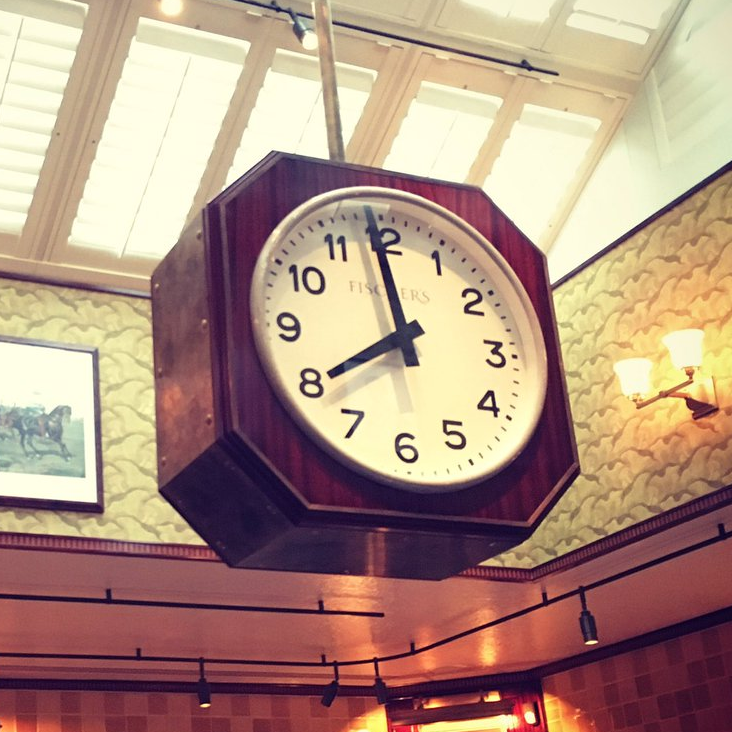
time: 7:58
